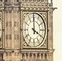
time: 4:00
